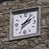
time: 2:06
